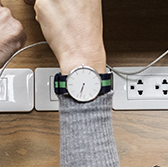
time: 6:33
